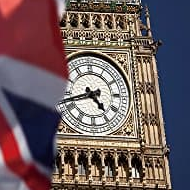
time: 4:42
